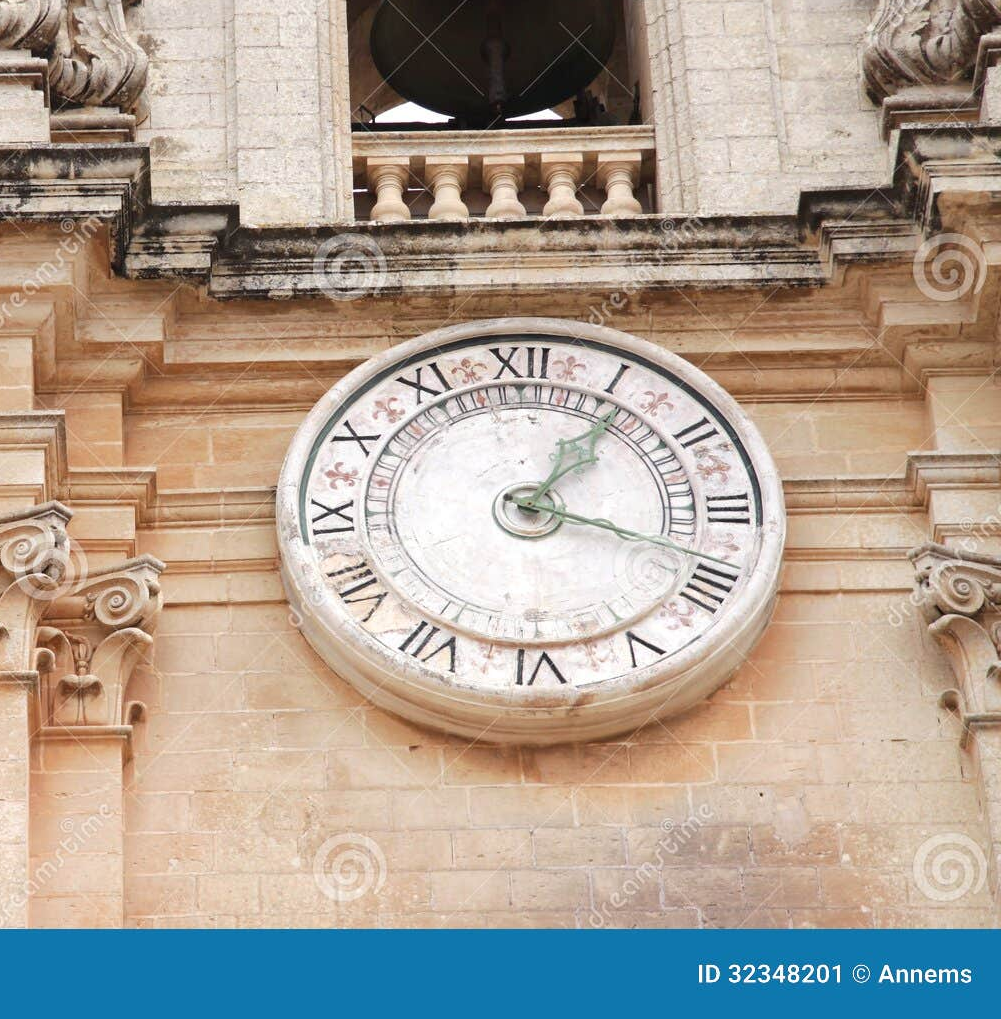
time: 1:18
